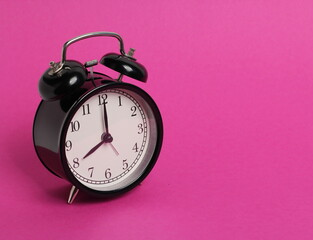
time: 8:00
